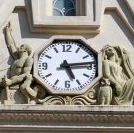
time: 5:13
